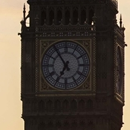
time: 6:54
